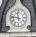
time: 11:46
